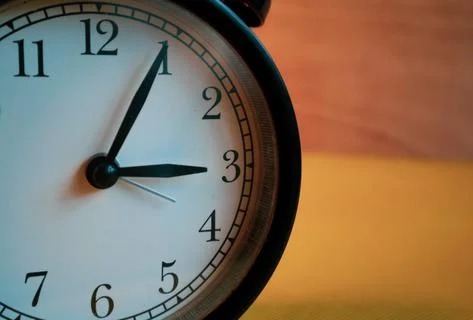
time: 3:04
